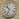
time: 10:34
